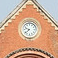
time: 9:38
